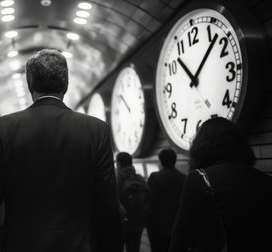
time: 10:07
